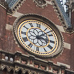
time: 3:07
